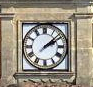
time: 2:08
